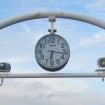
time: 6:16
